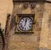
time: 12:02
